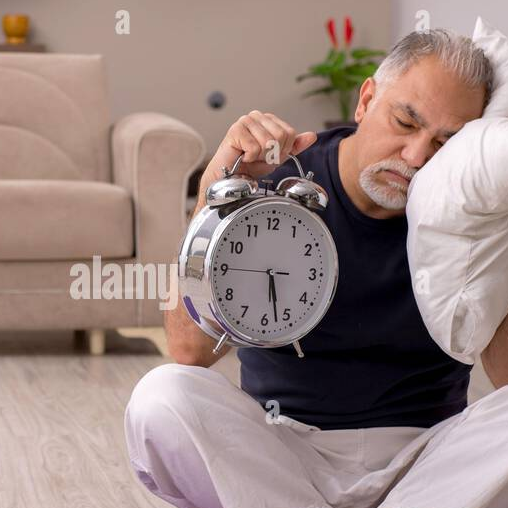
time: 5:27
